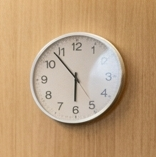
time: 5:53
